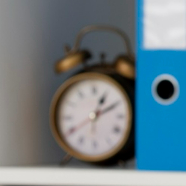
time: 1:10
